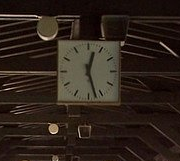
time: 12:27
